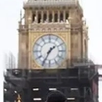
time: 1:34
